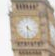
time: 4:30
